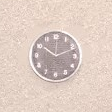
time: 10:11
